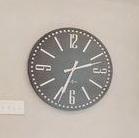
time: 2:33
